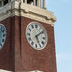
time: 5:08
